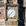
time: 7:37
